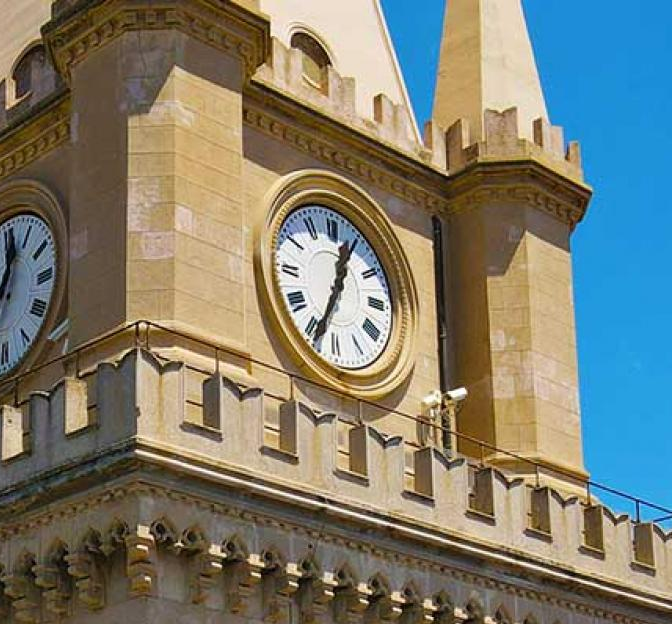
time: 12:34
